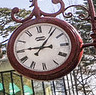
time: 3:06
